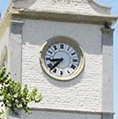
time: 8:37
